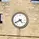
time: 4:40
